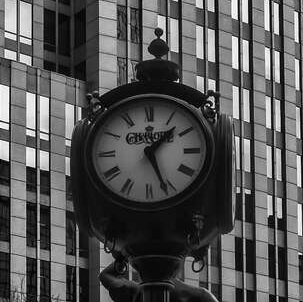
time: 1:26
